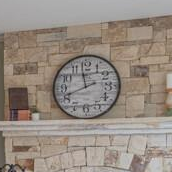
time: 11:41
